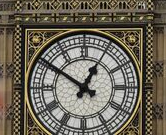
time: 12:50
